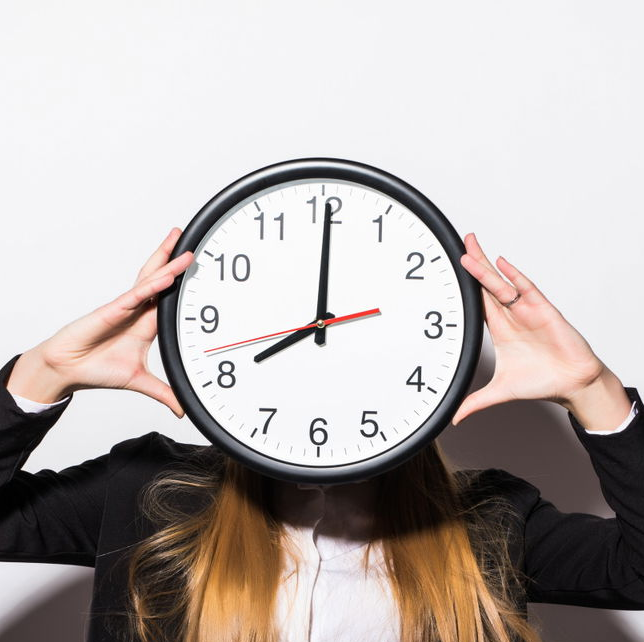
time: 8:00
